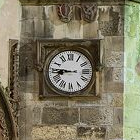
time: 8:45
